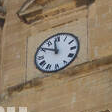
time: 11:50
